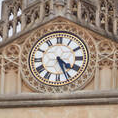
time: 4:26
